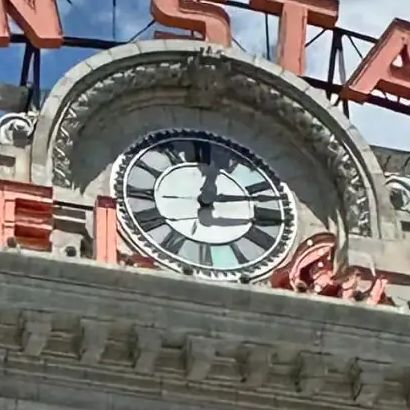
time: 12:13
